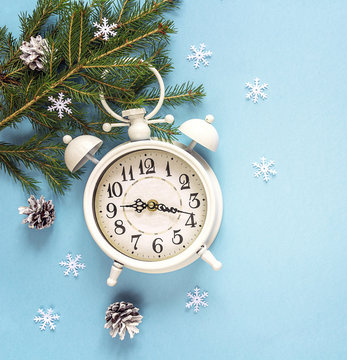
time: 9:18
